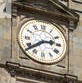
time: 2:38
